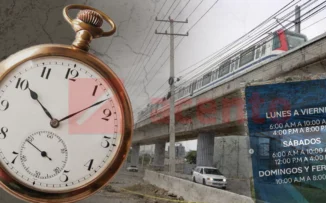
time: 10:07
